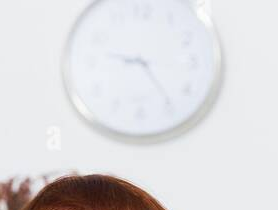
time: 9:24
